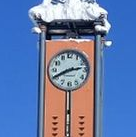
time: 2:40
